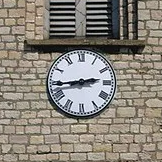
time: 2:44
